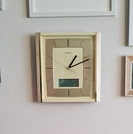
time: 1:11
